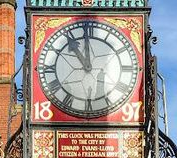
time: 10:59
